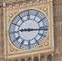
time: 9:16
